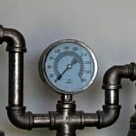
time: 1:37
